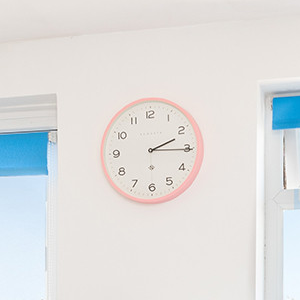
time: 2:15
